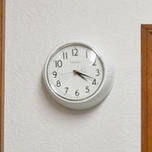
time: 4:18
